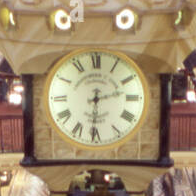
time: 2:31
